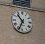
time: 10:34
